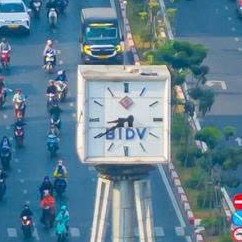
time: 8:39
